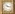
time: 4:17
